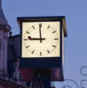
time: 8:59
